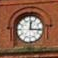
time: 12:15
